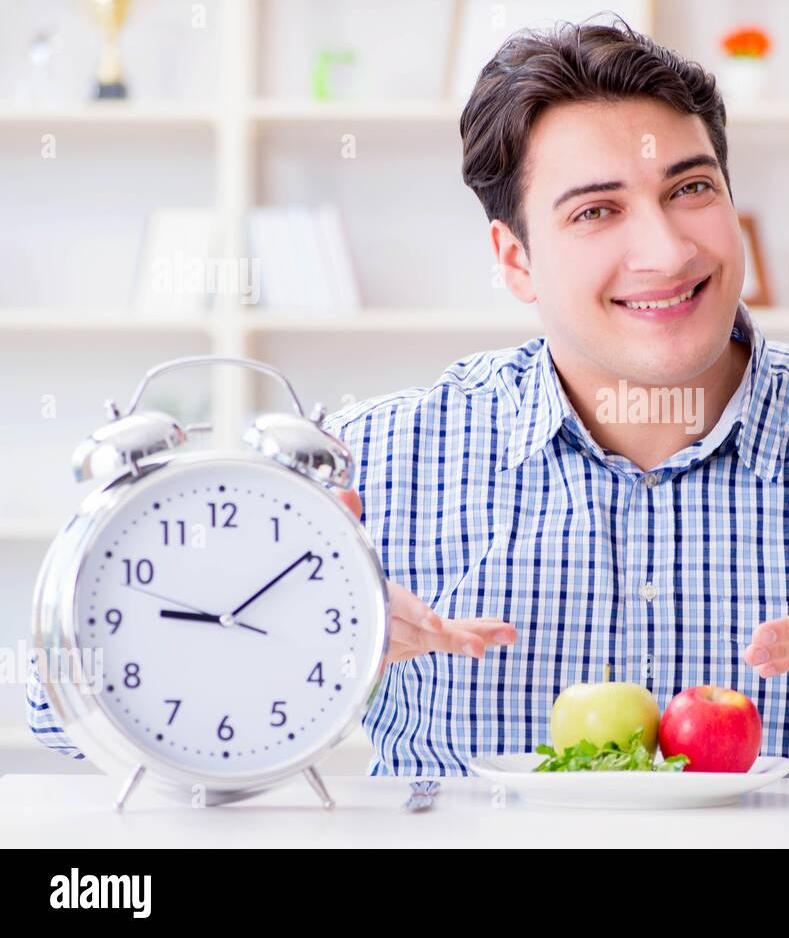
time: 9:09
